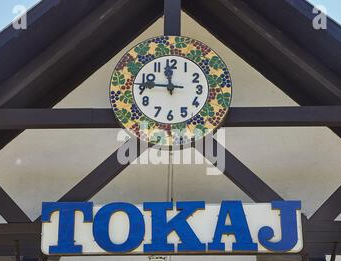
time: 11:45
